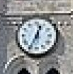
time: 12:34
